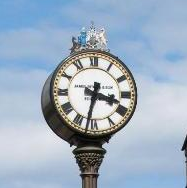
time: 3:32
